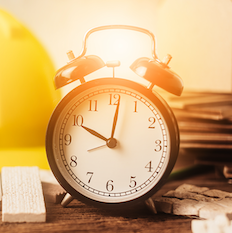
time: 10:01
